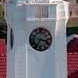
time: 7:17
